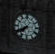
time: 7:40
